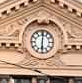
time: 6:00
